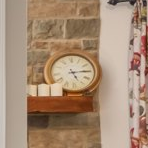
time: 5:14
